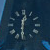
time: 12:30
